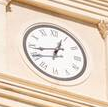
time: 12:43
